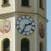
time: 2:34
